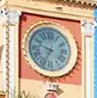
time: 9:34
